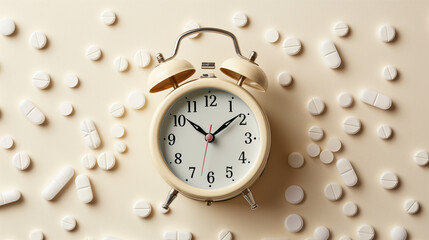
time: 1:51
